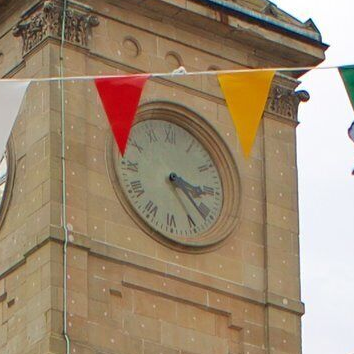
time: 3:21
